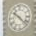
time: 10:22
